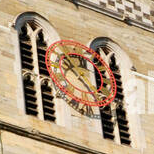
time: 10:22
